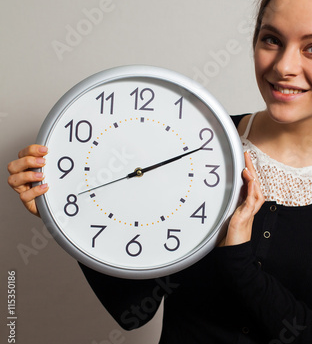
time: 2:11
